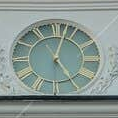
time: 5:02
